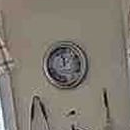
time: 11:57
